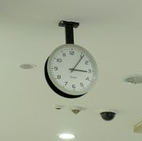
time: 3:06
